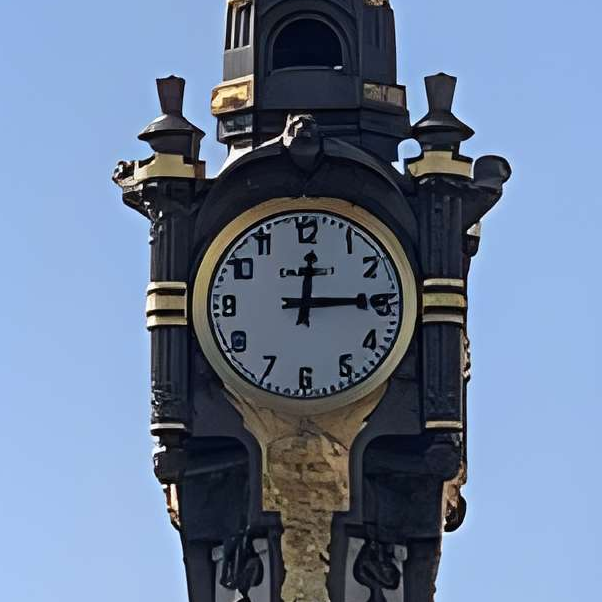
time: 12:14
